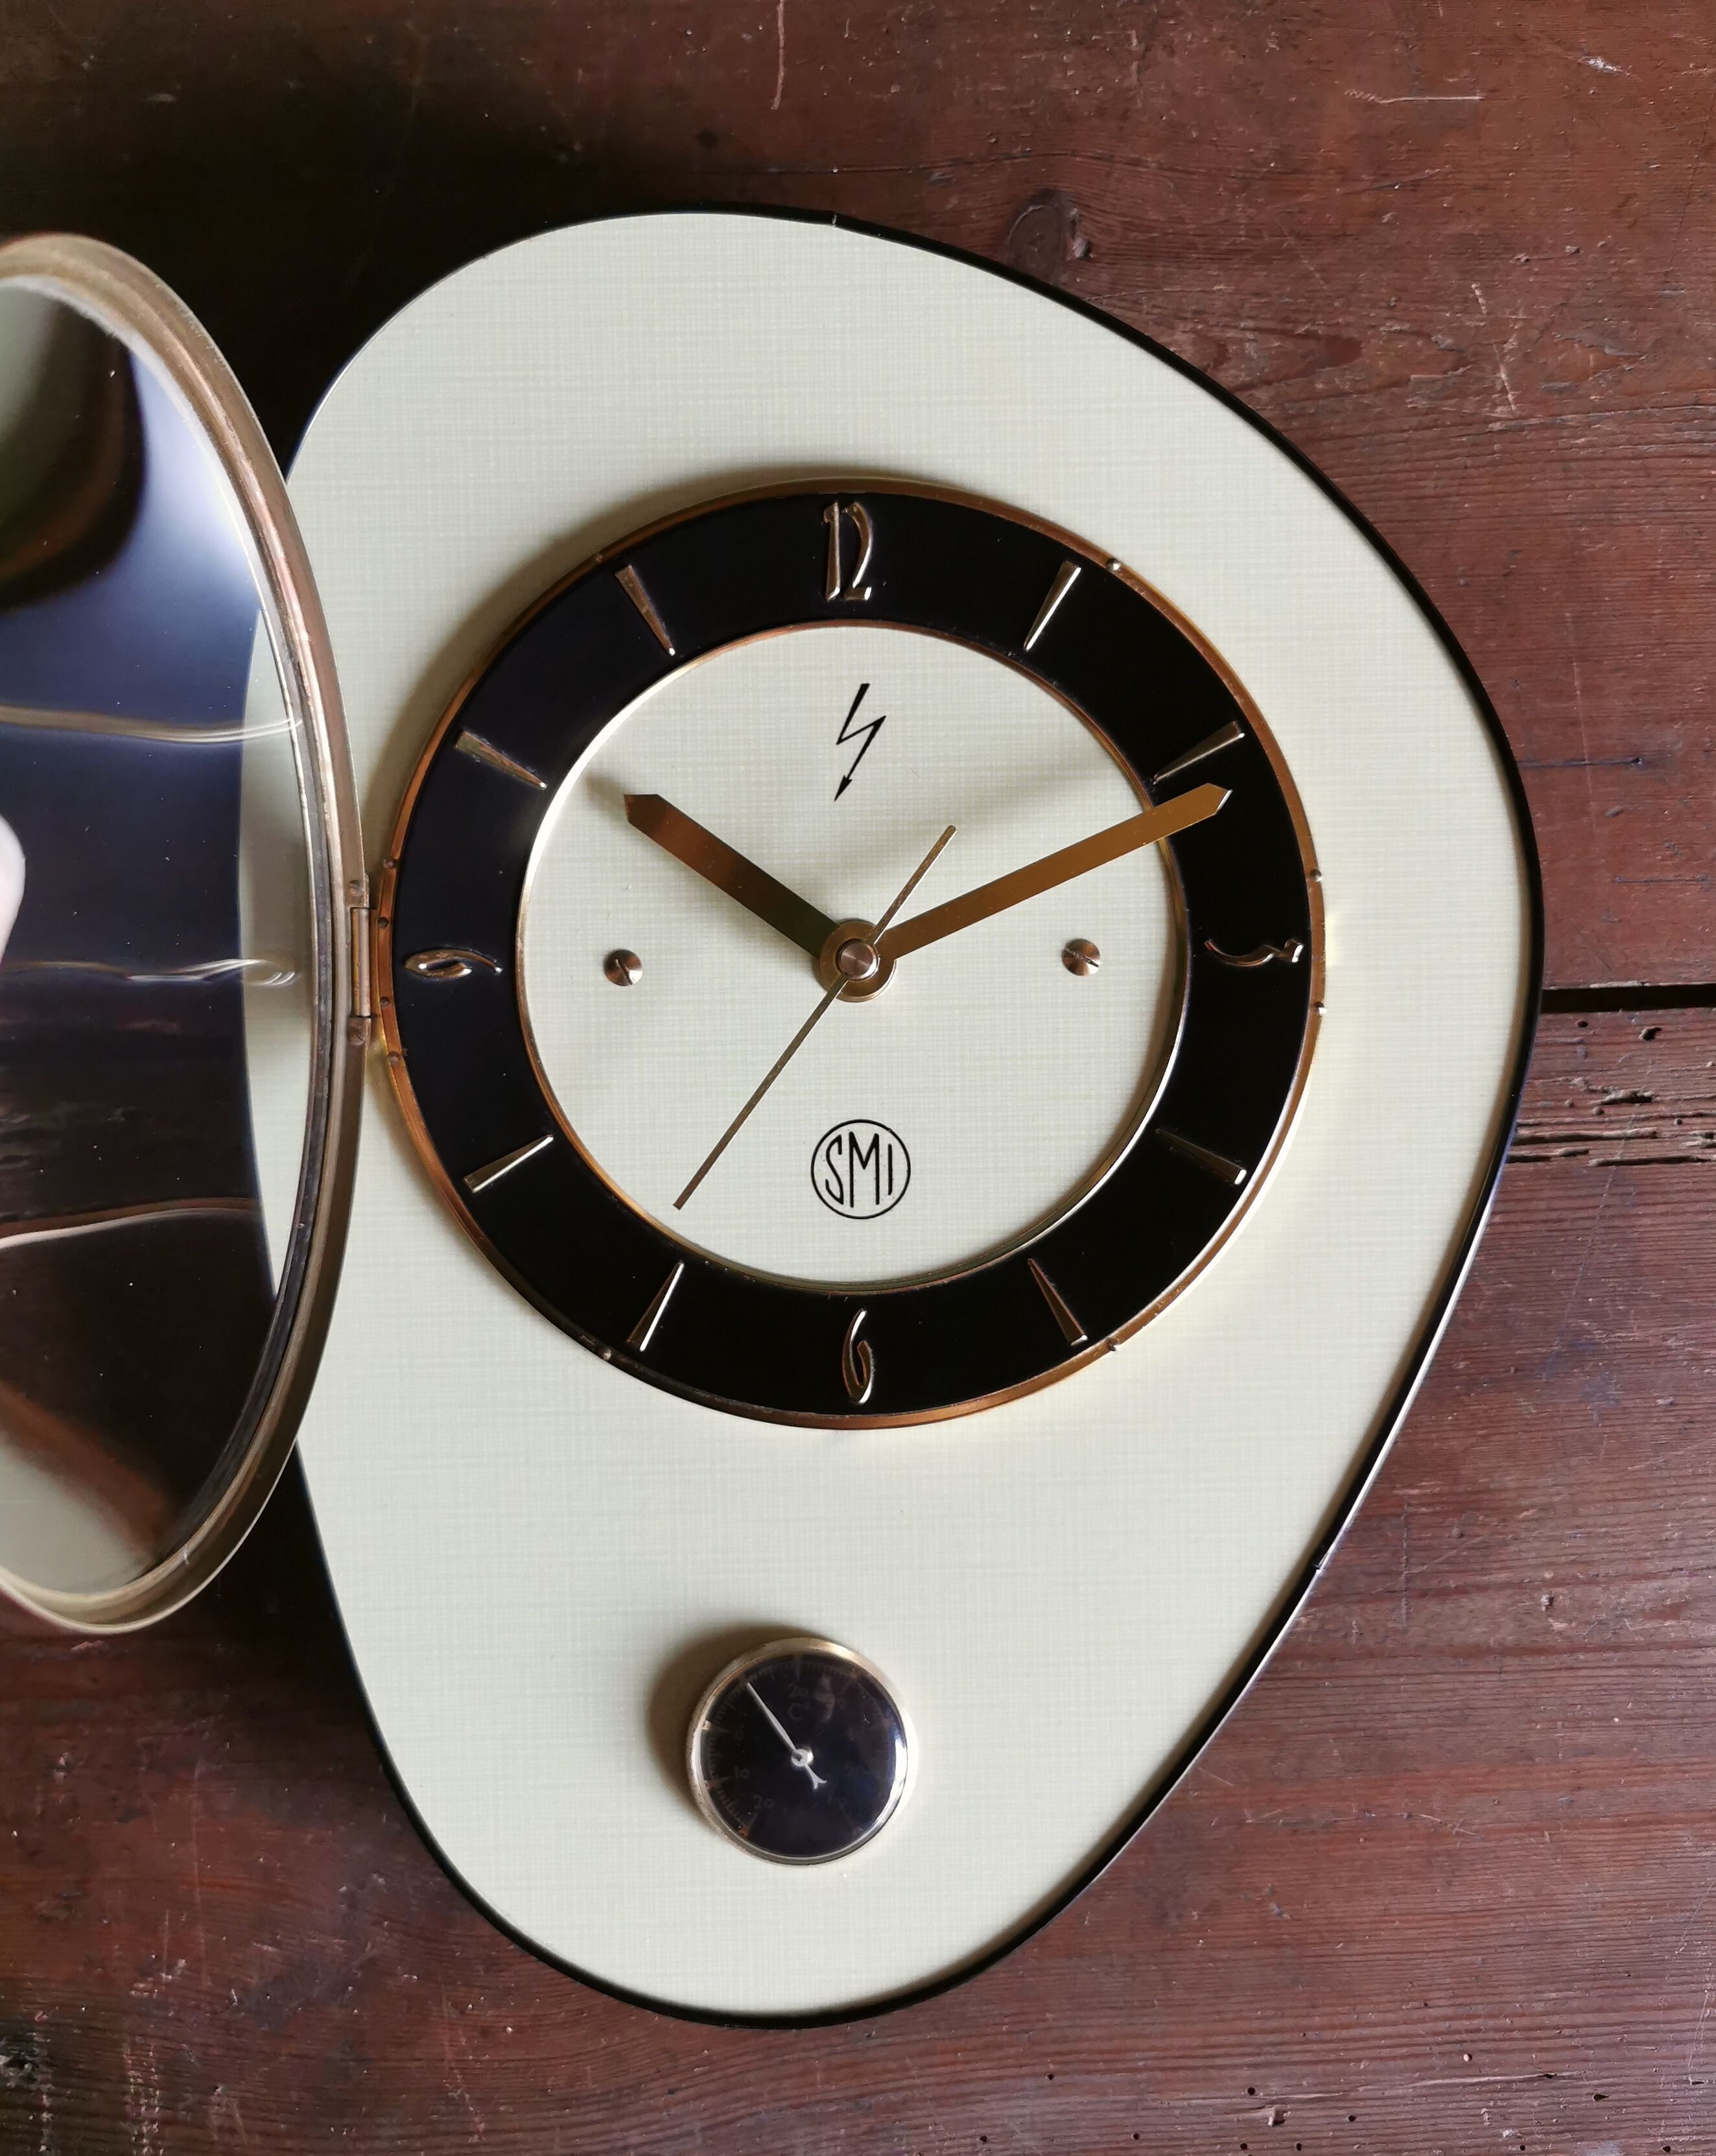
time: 10:10
